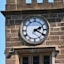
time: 2:19
